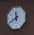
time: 11:40
